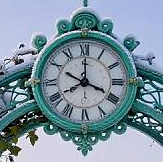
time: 8:00
